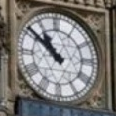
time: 10:51
